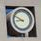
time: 8:49
